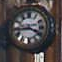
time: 3:43
